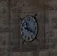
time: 11:19
